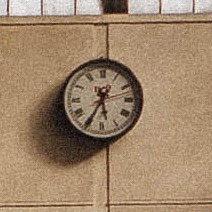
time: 5:34
